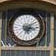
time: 3:09
